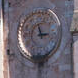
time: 2:56
